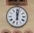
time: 12:02
